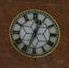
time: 12:33
